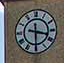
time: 3:29
